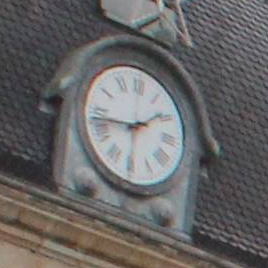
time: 1:43
